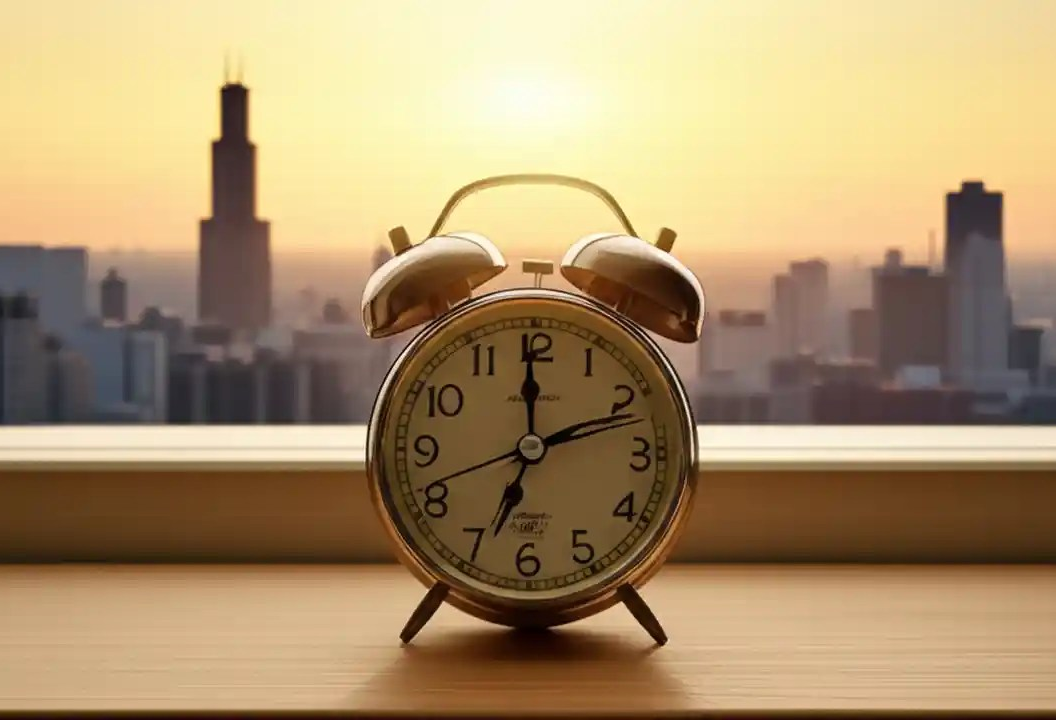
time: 6:59
